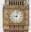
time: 9:02
